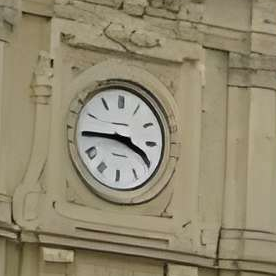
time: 3:44
